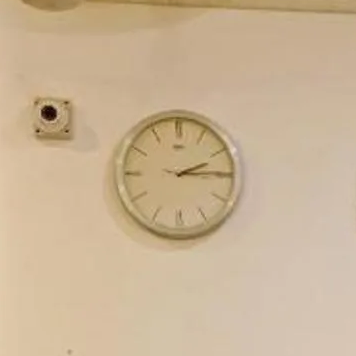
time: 2:14
